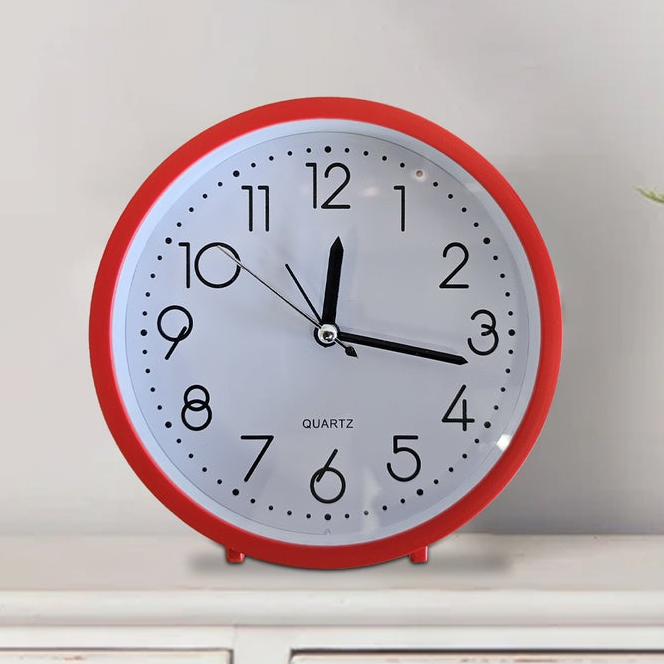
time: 12:16
